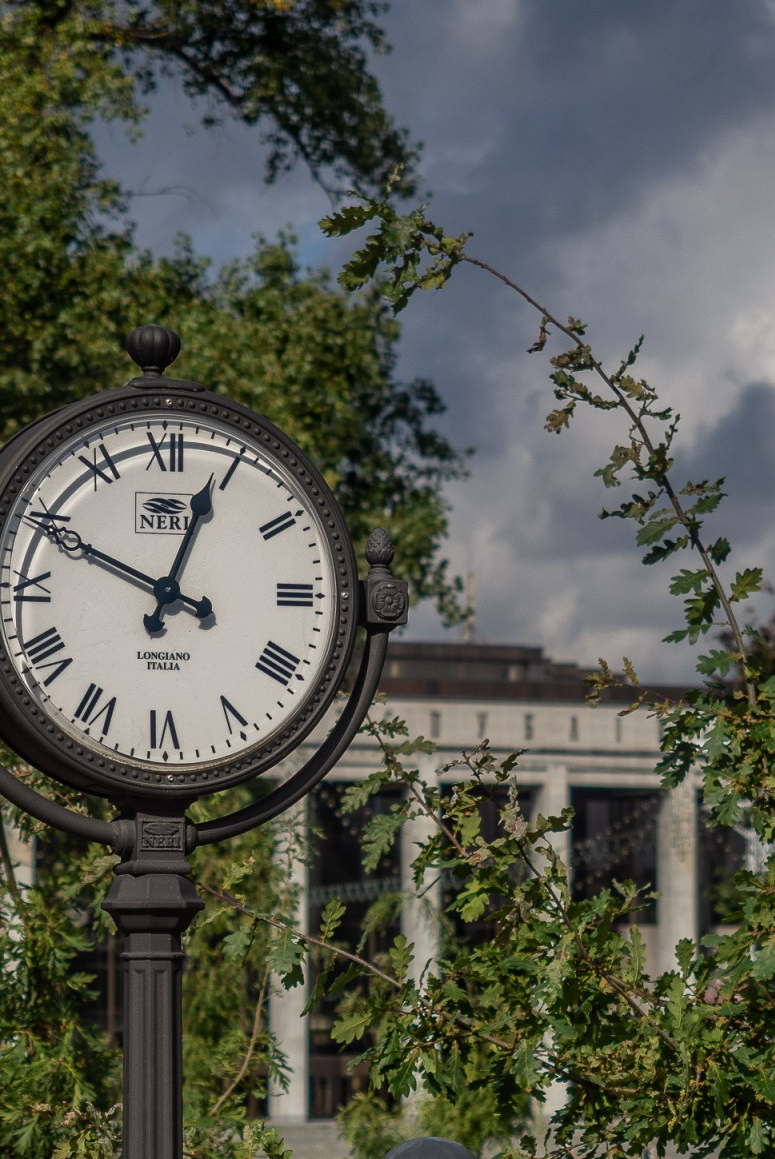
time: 12:49
